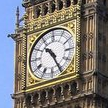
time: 10:25
